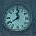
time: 11:38
